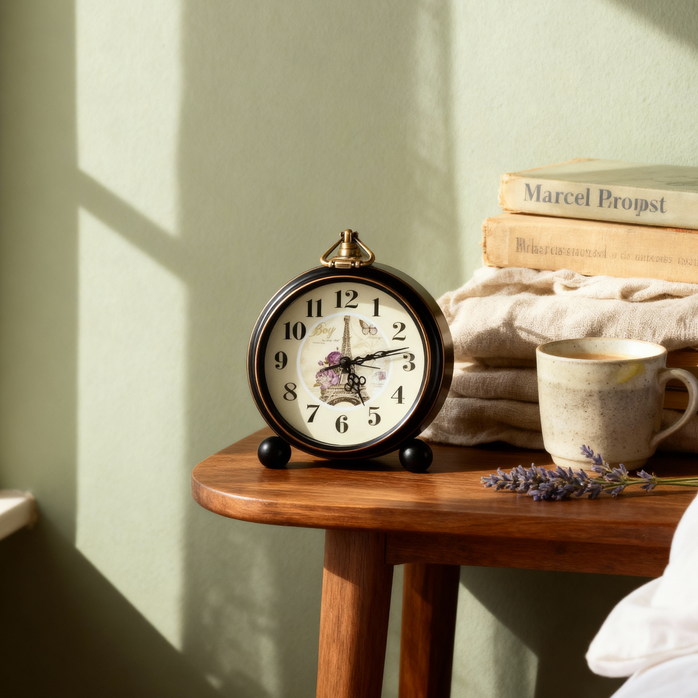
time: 5:12
